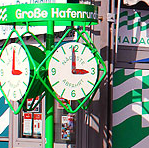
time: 3:00
